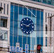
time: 1:46
